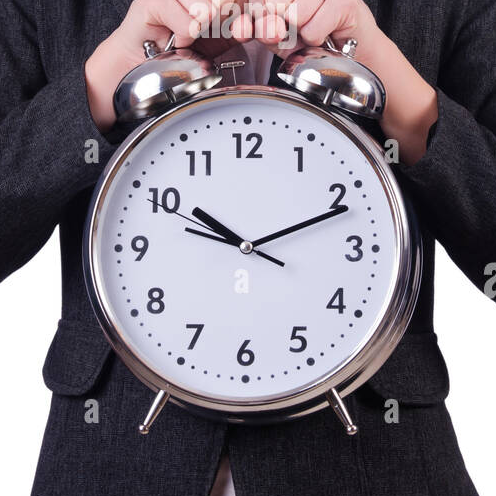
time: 10:11
